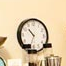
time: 10:33
